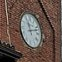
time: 11:12
